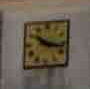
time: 10:17
